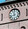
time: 11:42
